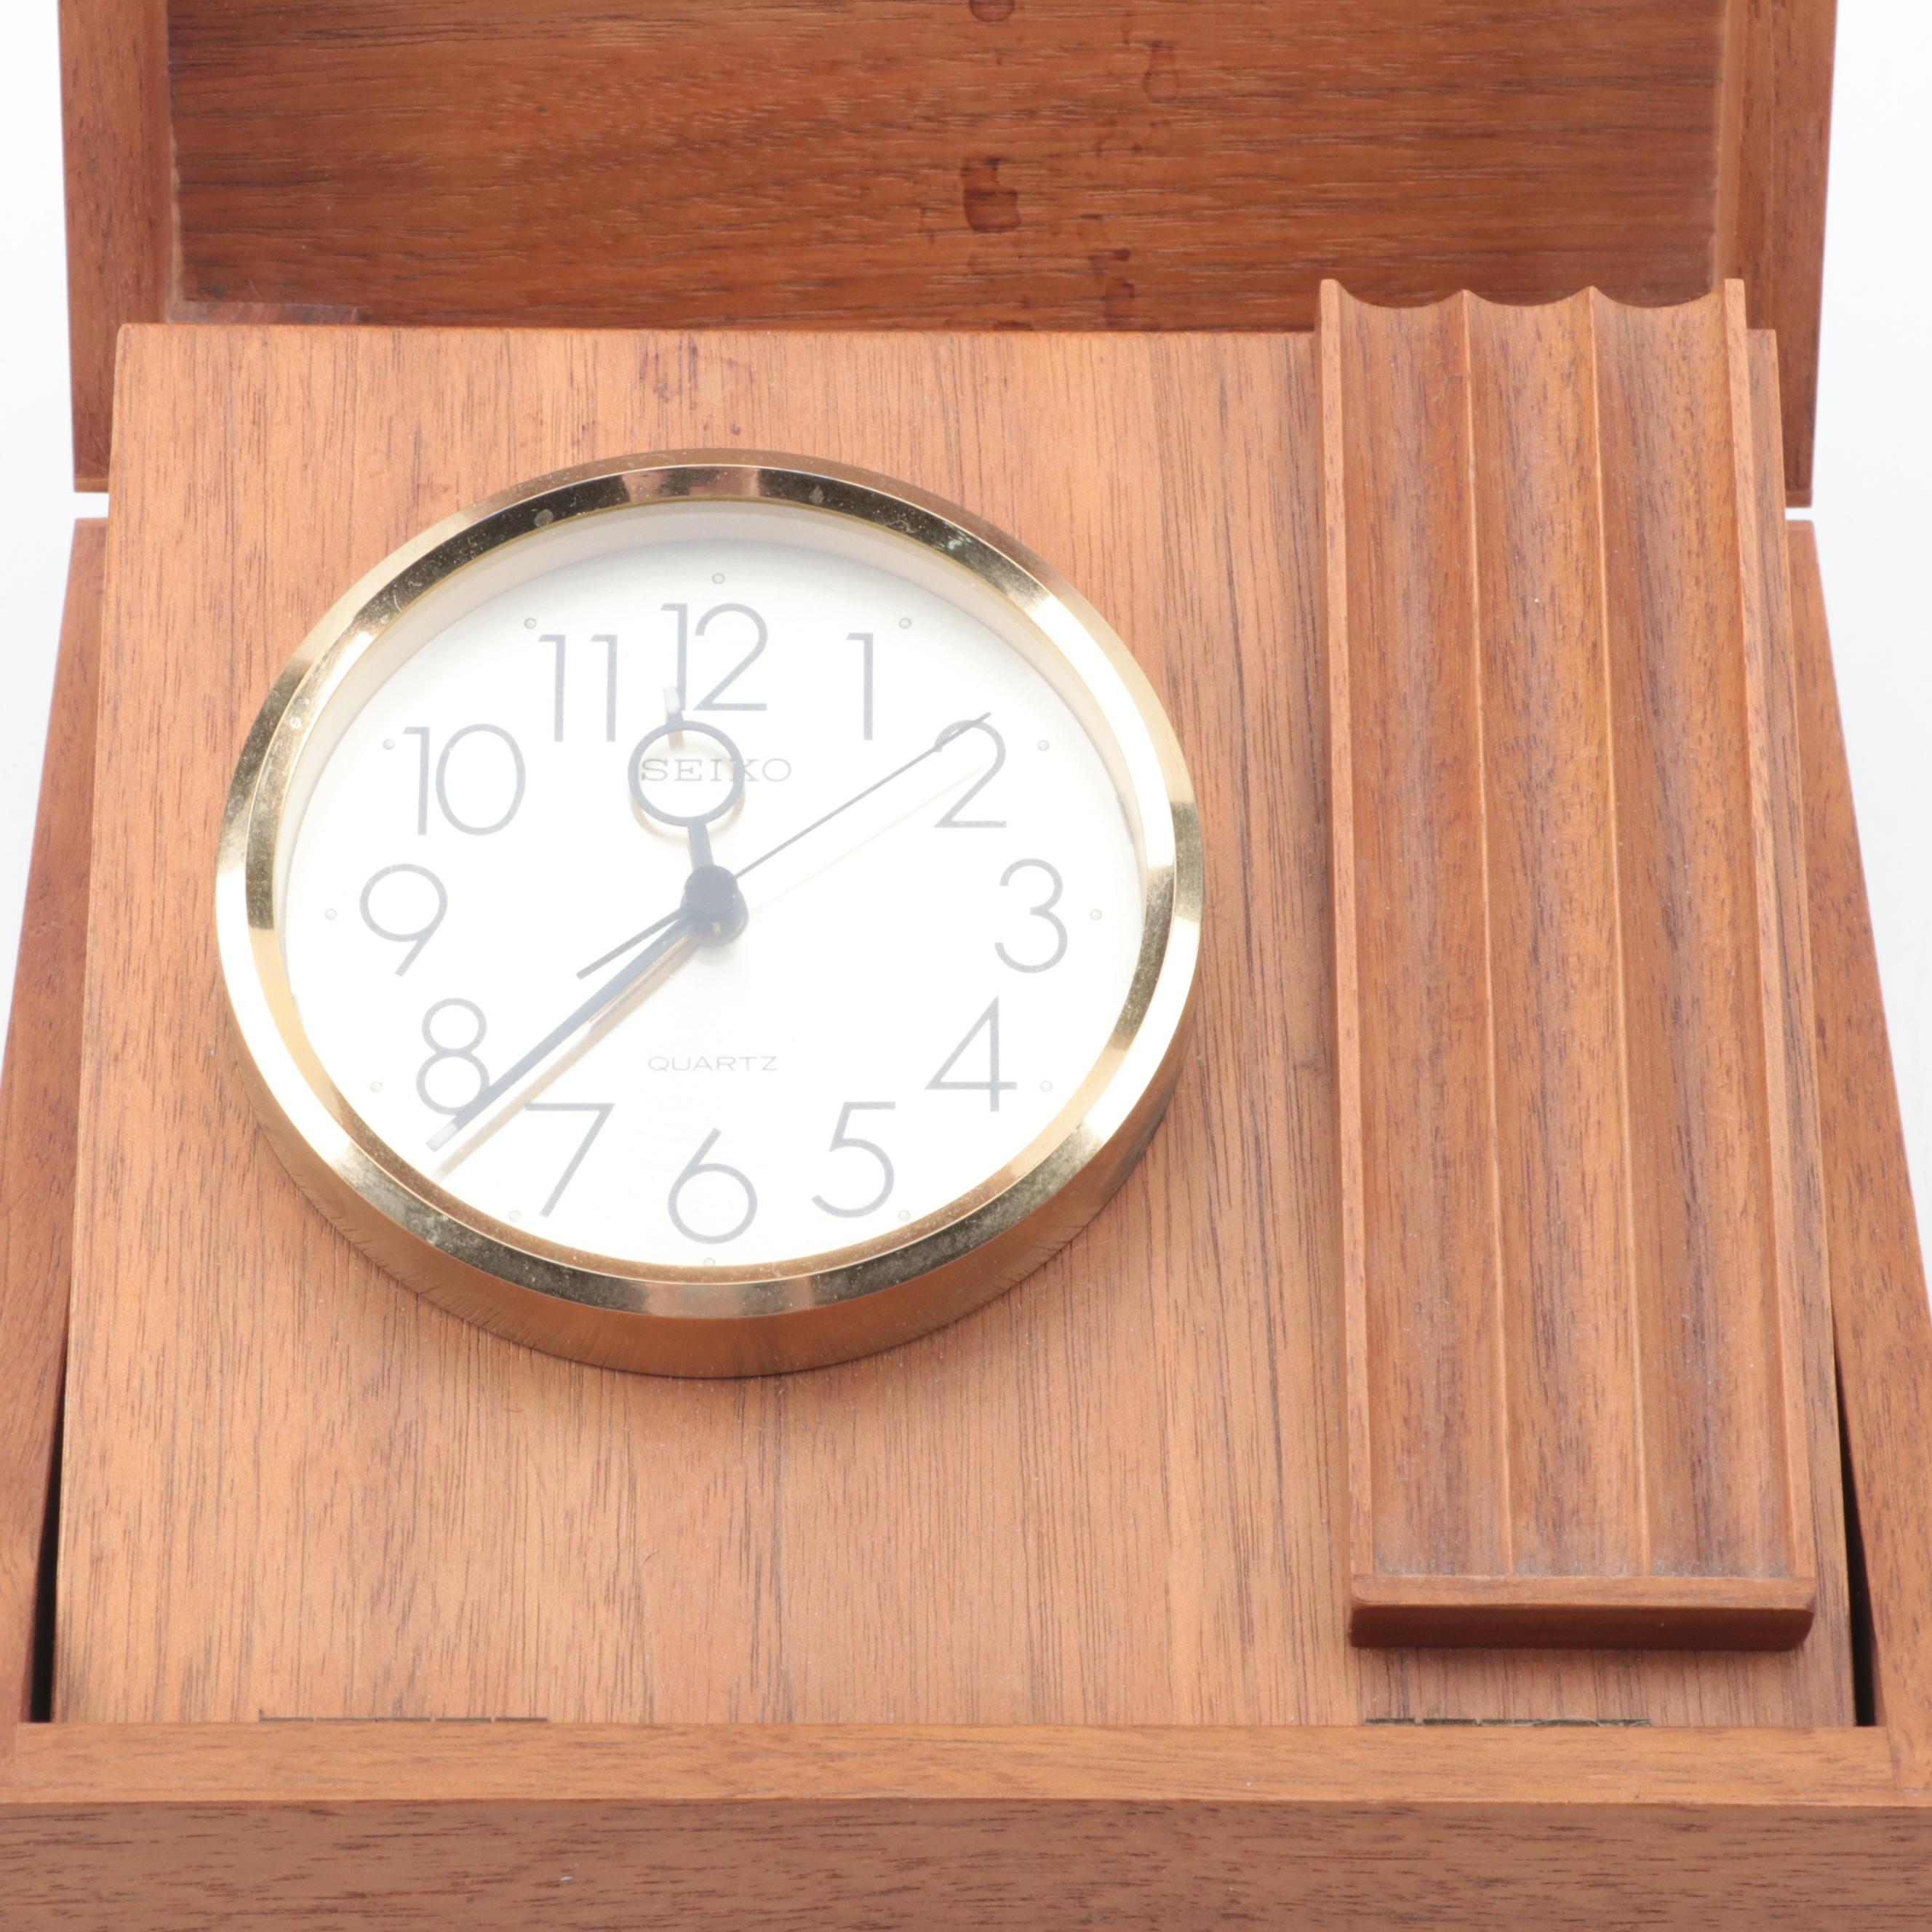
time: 11:38
